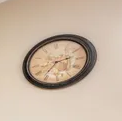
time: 2:36
